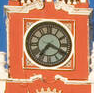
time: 7:19
